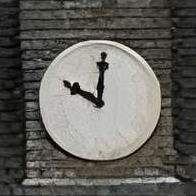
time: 10:00
